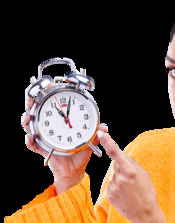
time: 11:03
